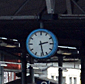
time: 2:28
